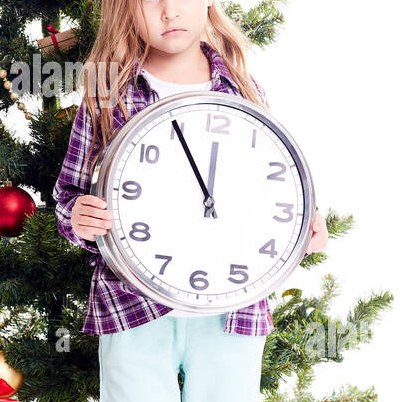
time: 11:54
